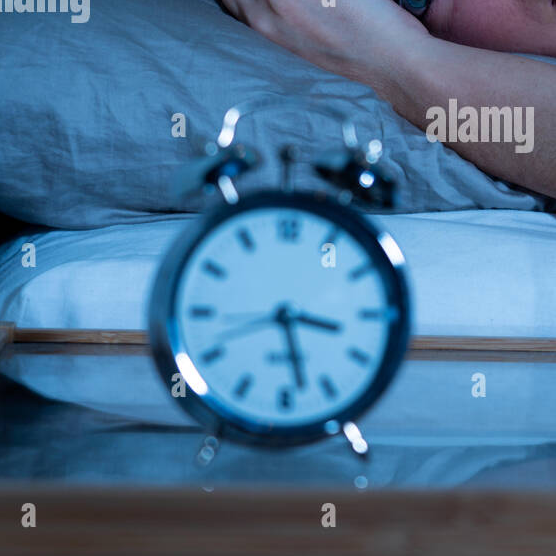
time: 5:41
